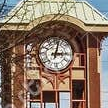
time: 3:02
